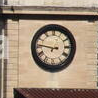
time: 12:46
